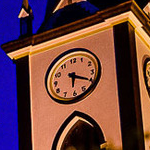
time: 6:19
